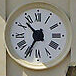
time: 10:34
